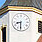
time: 8:30
